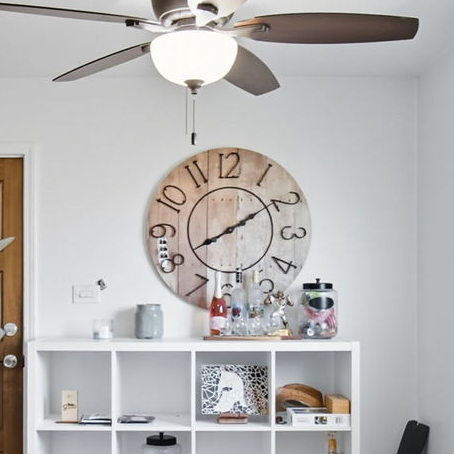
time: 8:09
